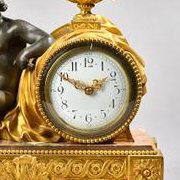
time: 1:49
